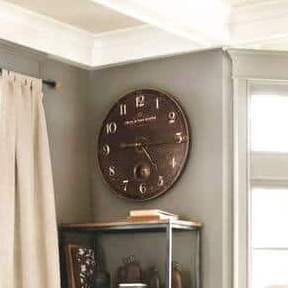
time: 4:45
